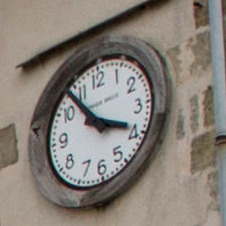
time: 3:53
